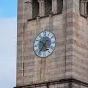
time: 4:35
